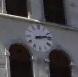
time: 2:12
